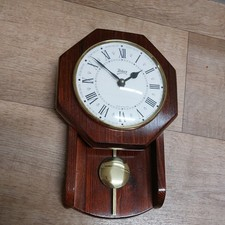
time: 1:51
